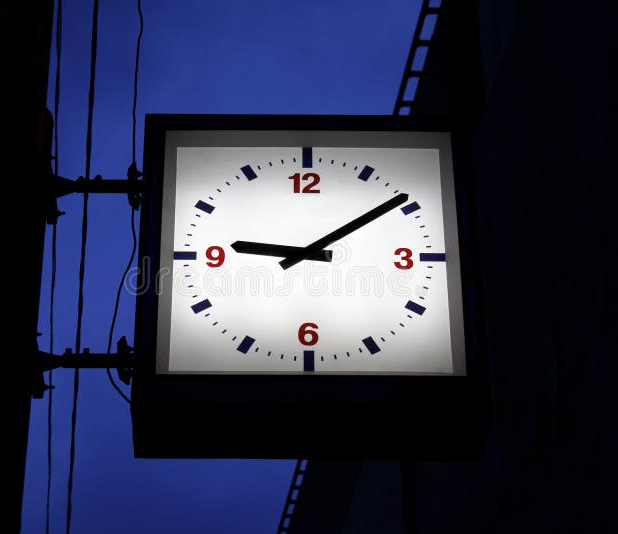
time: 9:09
